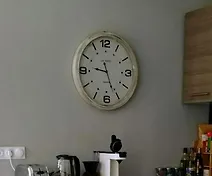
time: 9:26
